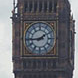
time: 1:44
